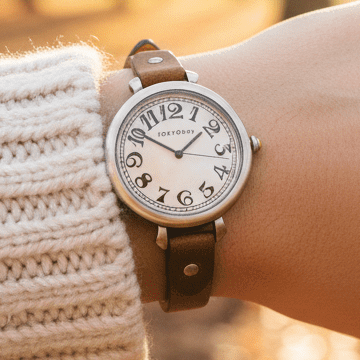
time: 1:50
